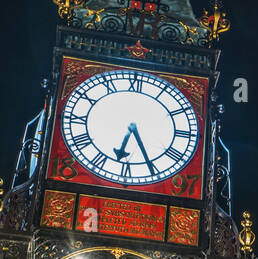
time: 6:25
